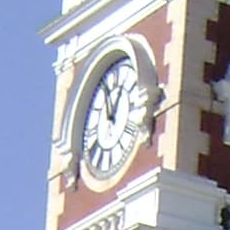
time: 12:57
